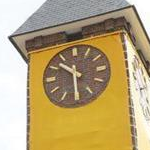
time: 10:30
